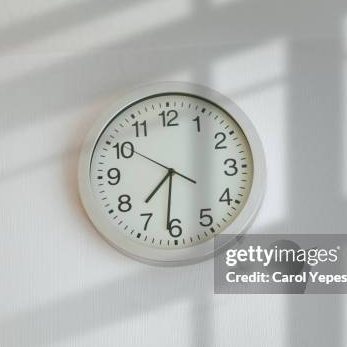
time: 7:31
